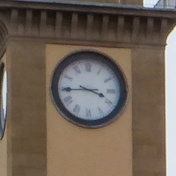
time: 3:44
